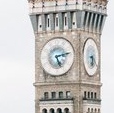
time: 5:12
